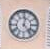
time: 12:23
